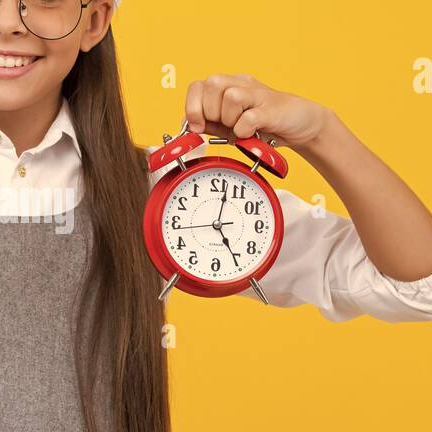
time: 5:01
